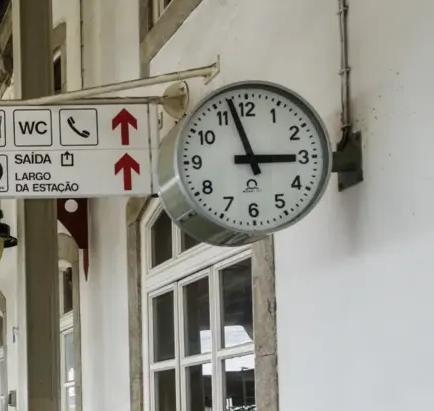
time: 2:57
